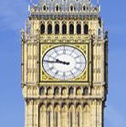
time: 9:45
